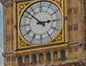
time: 2:52
